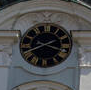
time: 3:40
